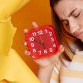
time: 5:49
